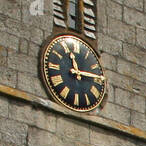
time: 11:14
